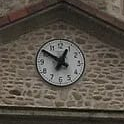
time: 12:50
